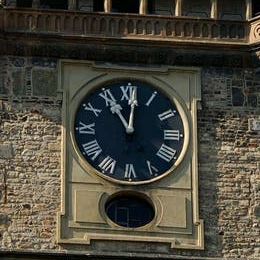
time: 11:01
